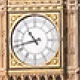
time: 10:42
